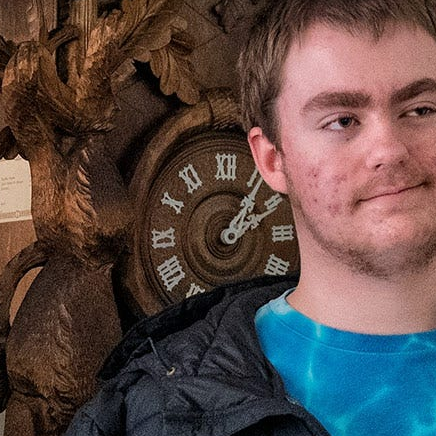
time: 2:06
